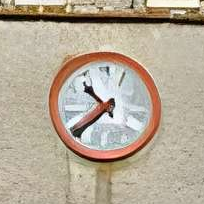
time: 10:38
